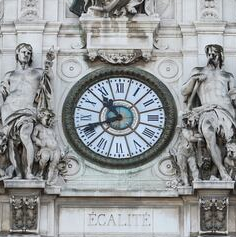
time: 10:41
